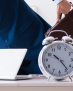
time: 10:23
